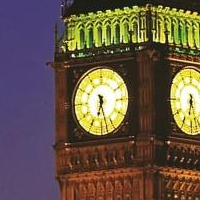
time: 6:27
